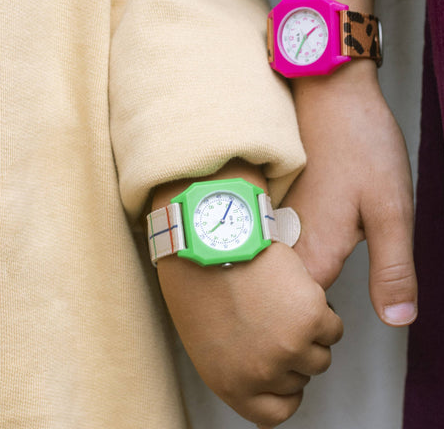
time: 8:05
